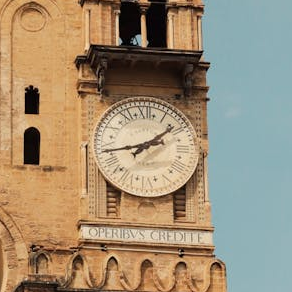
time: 1:43
